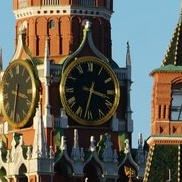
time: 3:32
